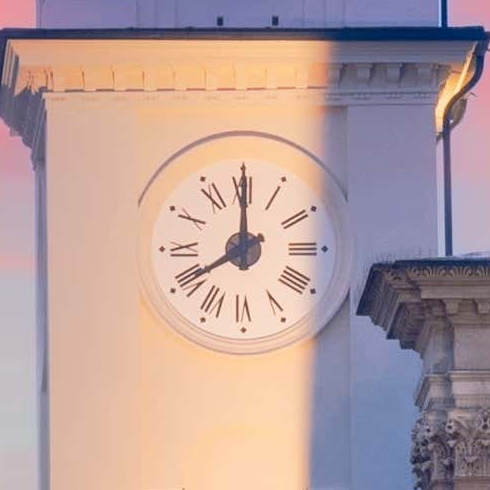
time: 7:59
